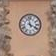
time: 3:58
